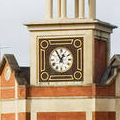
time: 12:55
